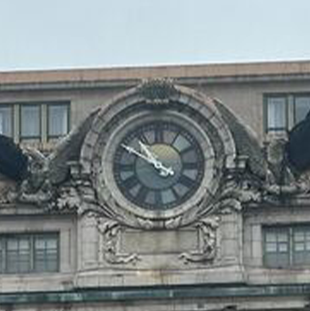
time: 10:50
